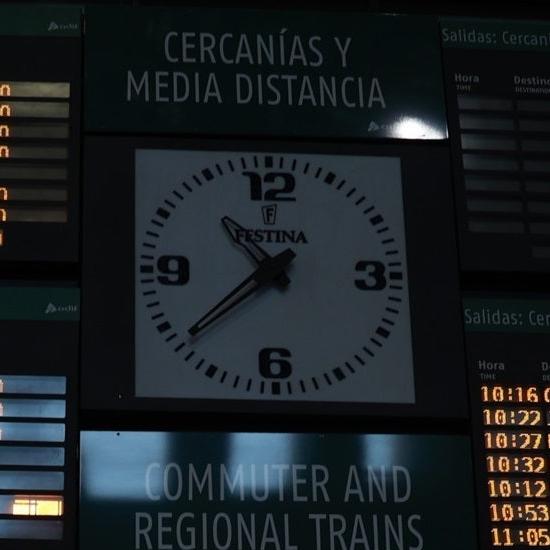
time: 10:38
